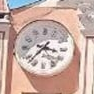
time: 3:37
